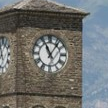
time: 11:06
